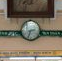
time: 2:33
